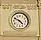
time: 4:49
